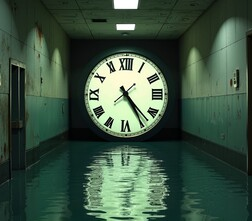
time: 4:24
